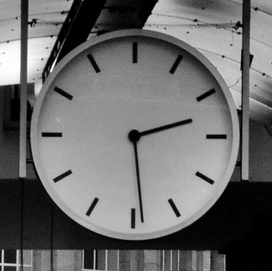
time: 2:29
